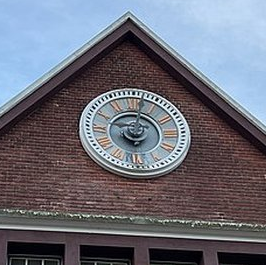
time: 9:02
